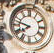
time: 7:47
